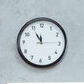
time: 11:54
